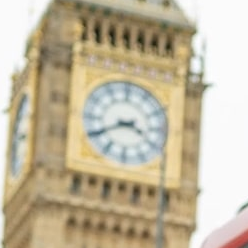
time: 3:40
